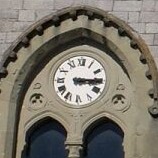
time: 3:14
